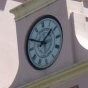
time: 1:49
